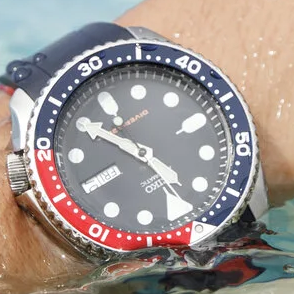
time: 4:49
